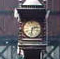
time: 2:32
